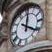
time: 4:01
